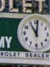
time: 11:01
